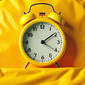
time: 4:09
